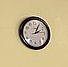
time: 2:04
